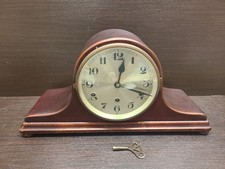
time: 12:18
